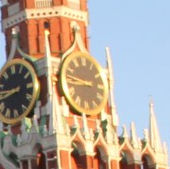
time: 8:46
